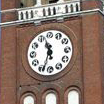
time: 11:33
